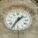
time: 1:35
